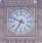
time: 6:48
